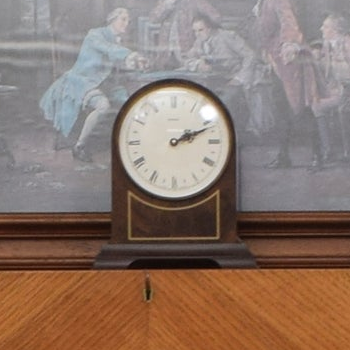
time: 2:11
